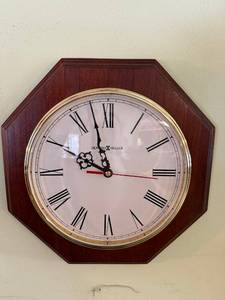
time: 9:57
